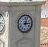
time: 12:14
